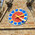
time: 2:21
